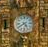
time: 4:39
